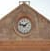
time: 1:47
